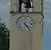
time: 4:23
